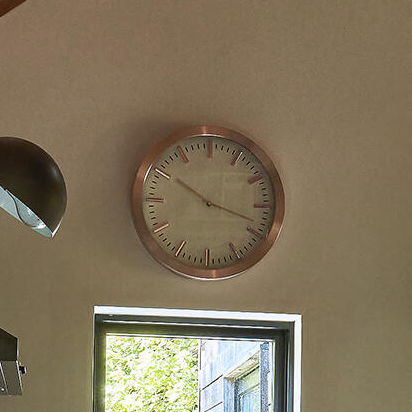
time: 10:18
